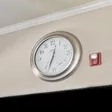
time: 12:33
